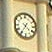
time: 4:35
